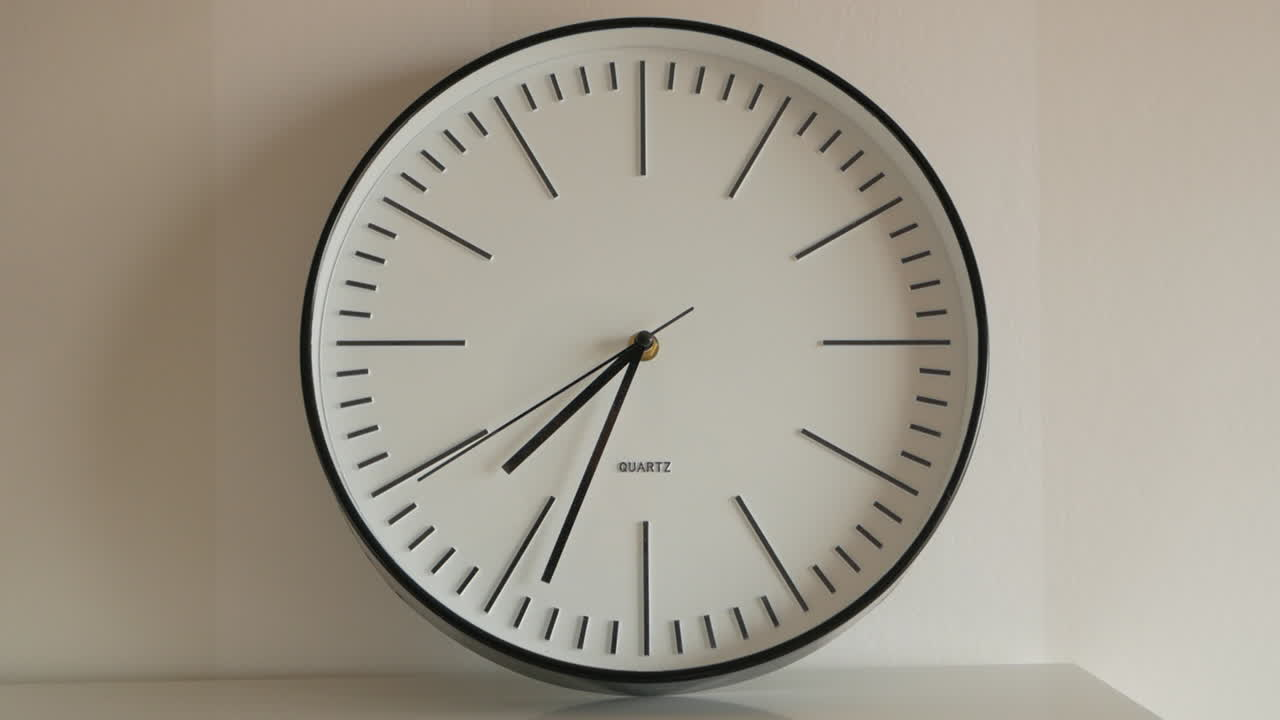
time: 7:33
